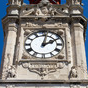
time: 2:02
